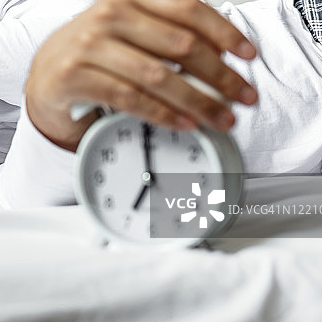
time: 7:00
